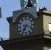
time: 7:17
